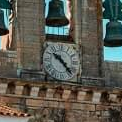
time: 10:23
